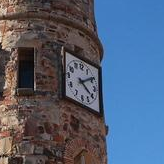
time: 4:09
